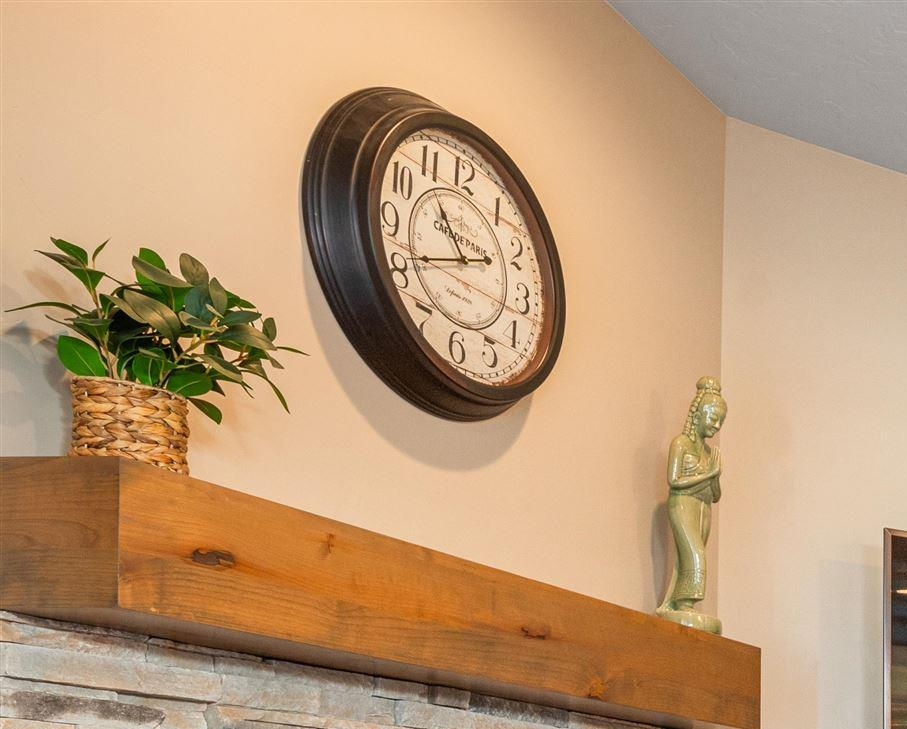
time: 10:41
